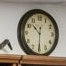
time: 10:30
